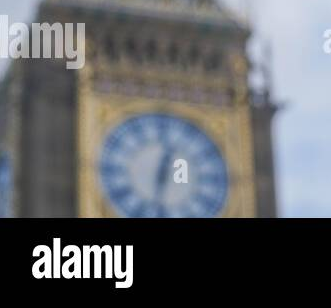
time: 12:32
